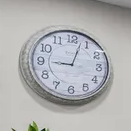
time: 9:03
